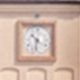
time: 10:32
